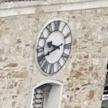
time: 9:41
